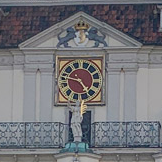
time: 4:46
